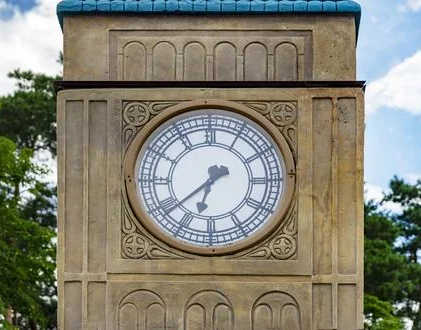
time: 6:38
